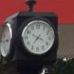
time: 7:19
